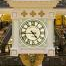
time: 4:44
